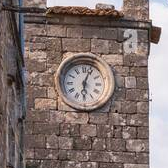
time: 6:03
